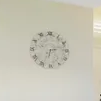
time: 2:33
